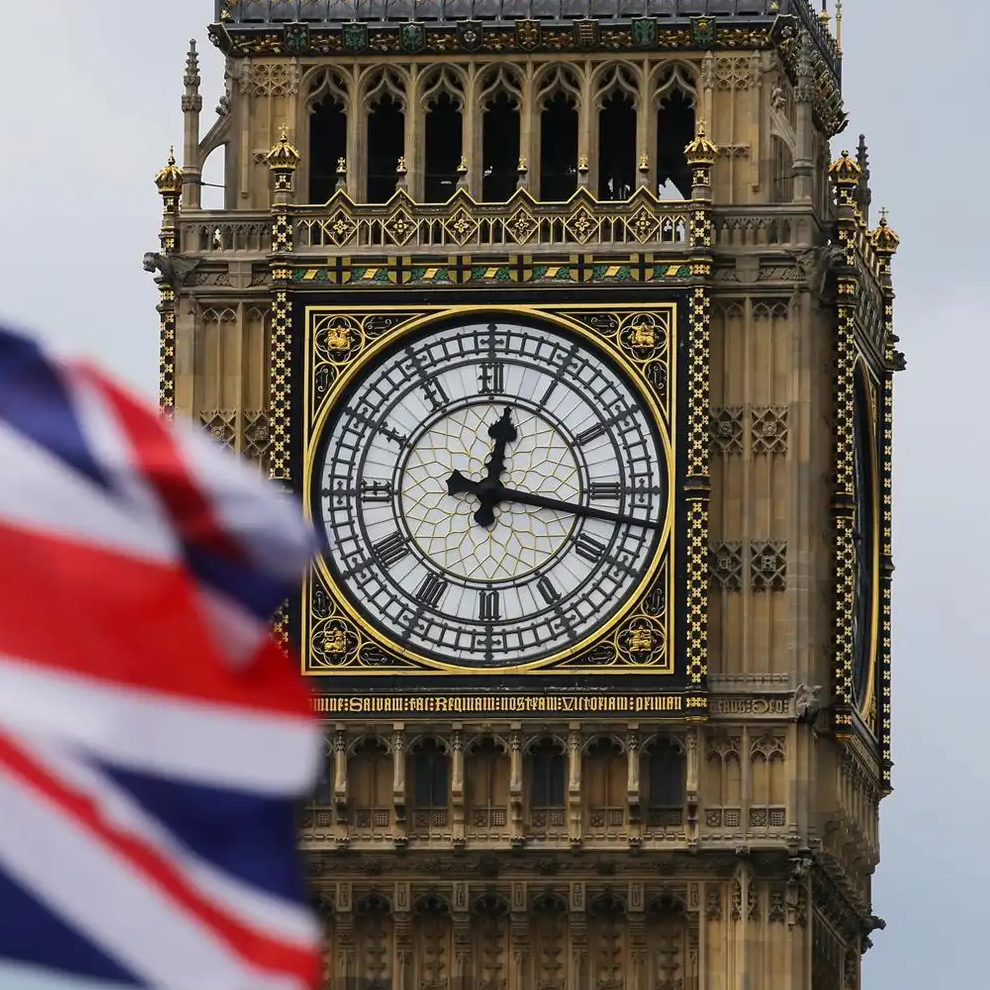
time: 12:16
